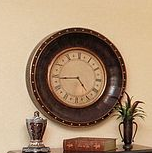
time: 4:44
